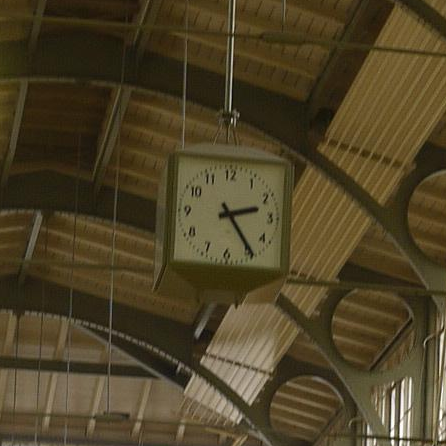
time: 2:24
